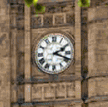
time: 2:18
